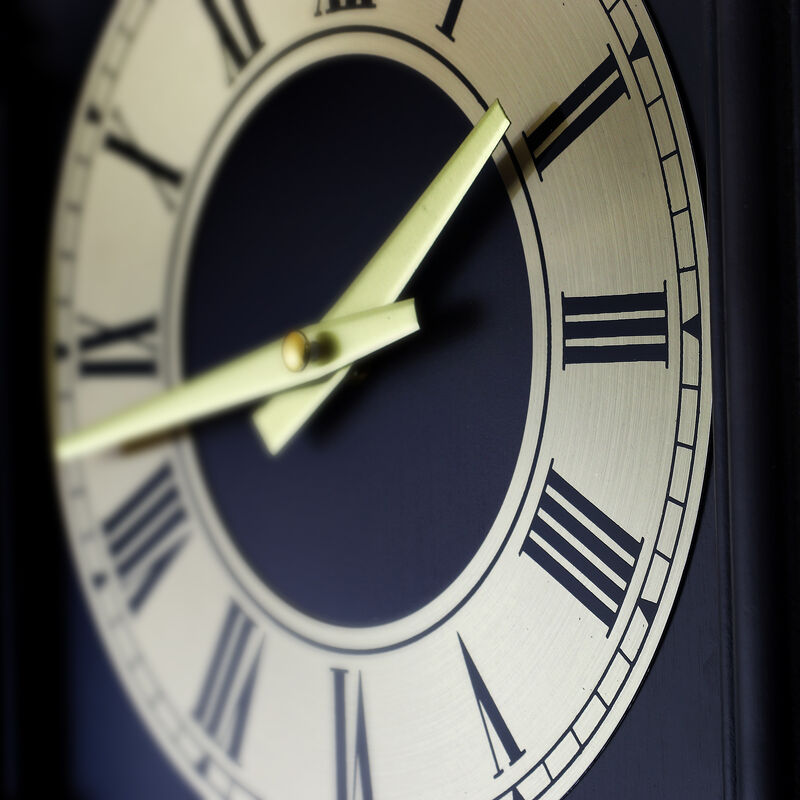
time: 1:42
